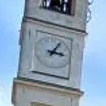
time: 3:04
